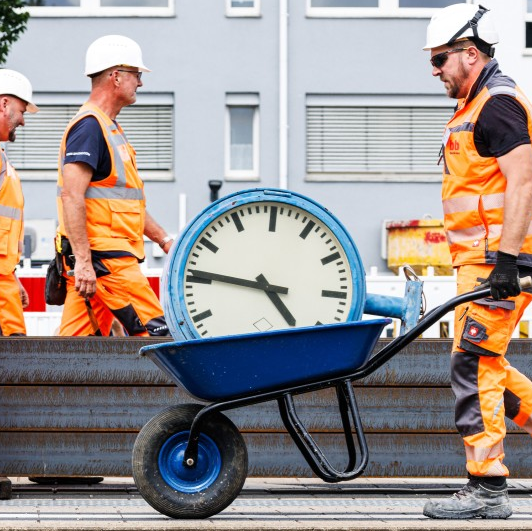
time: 4:46
